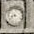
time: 8:38
